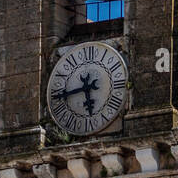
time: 5:43
